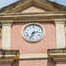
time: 2:33
